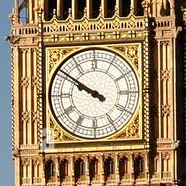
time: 9:50
